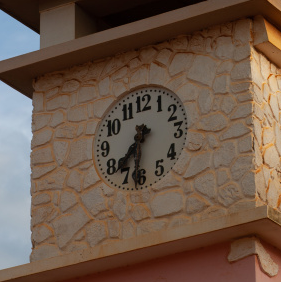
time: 7:31
